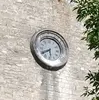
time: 5:40
